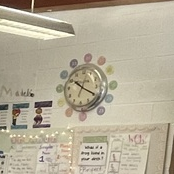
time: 10:19
